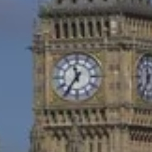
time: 11:35
